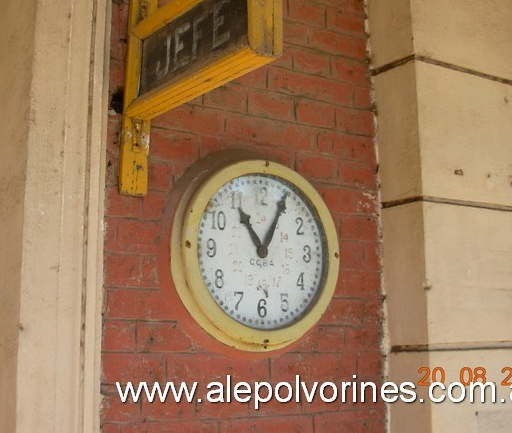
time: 11:04
